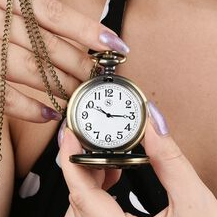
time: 10:15
